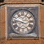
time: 2:46
